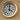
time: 4:01
